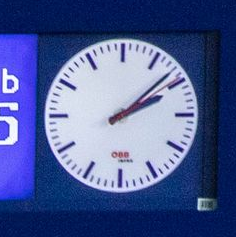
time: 2:08
